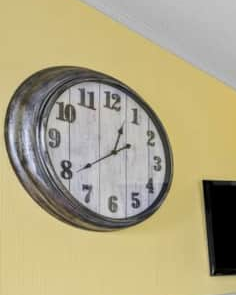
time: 12:39
